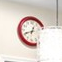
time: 12:41
